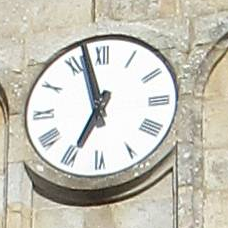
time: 6:57
